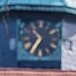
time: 10:34
